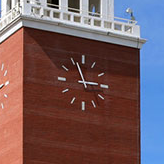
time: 2:56
